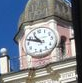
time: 10:48
